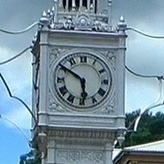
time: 5:50
